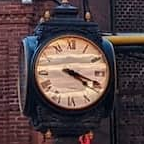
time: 4:18
